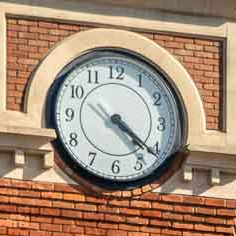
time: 4:21
